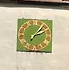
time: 2:06
